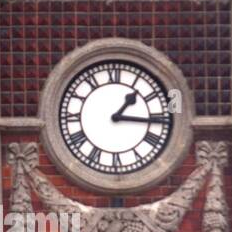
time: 1:16
